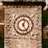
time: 5:03
